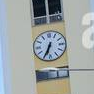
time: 6:34
